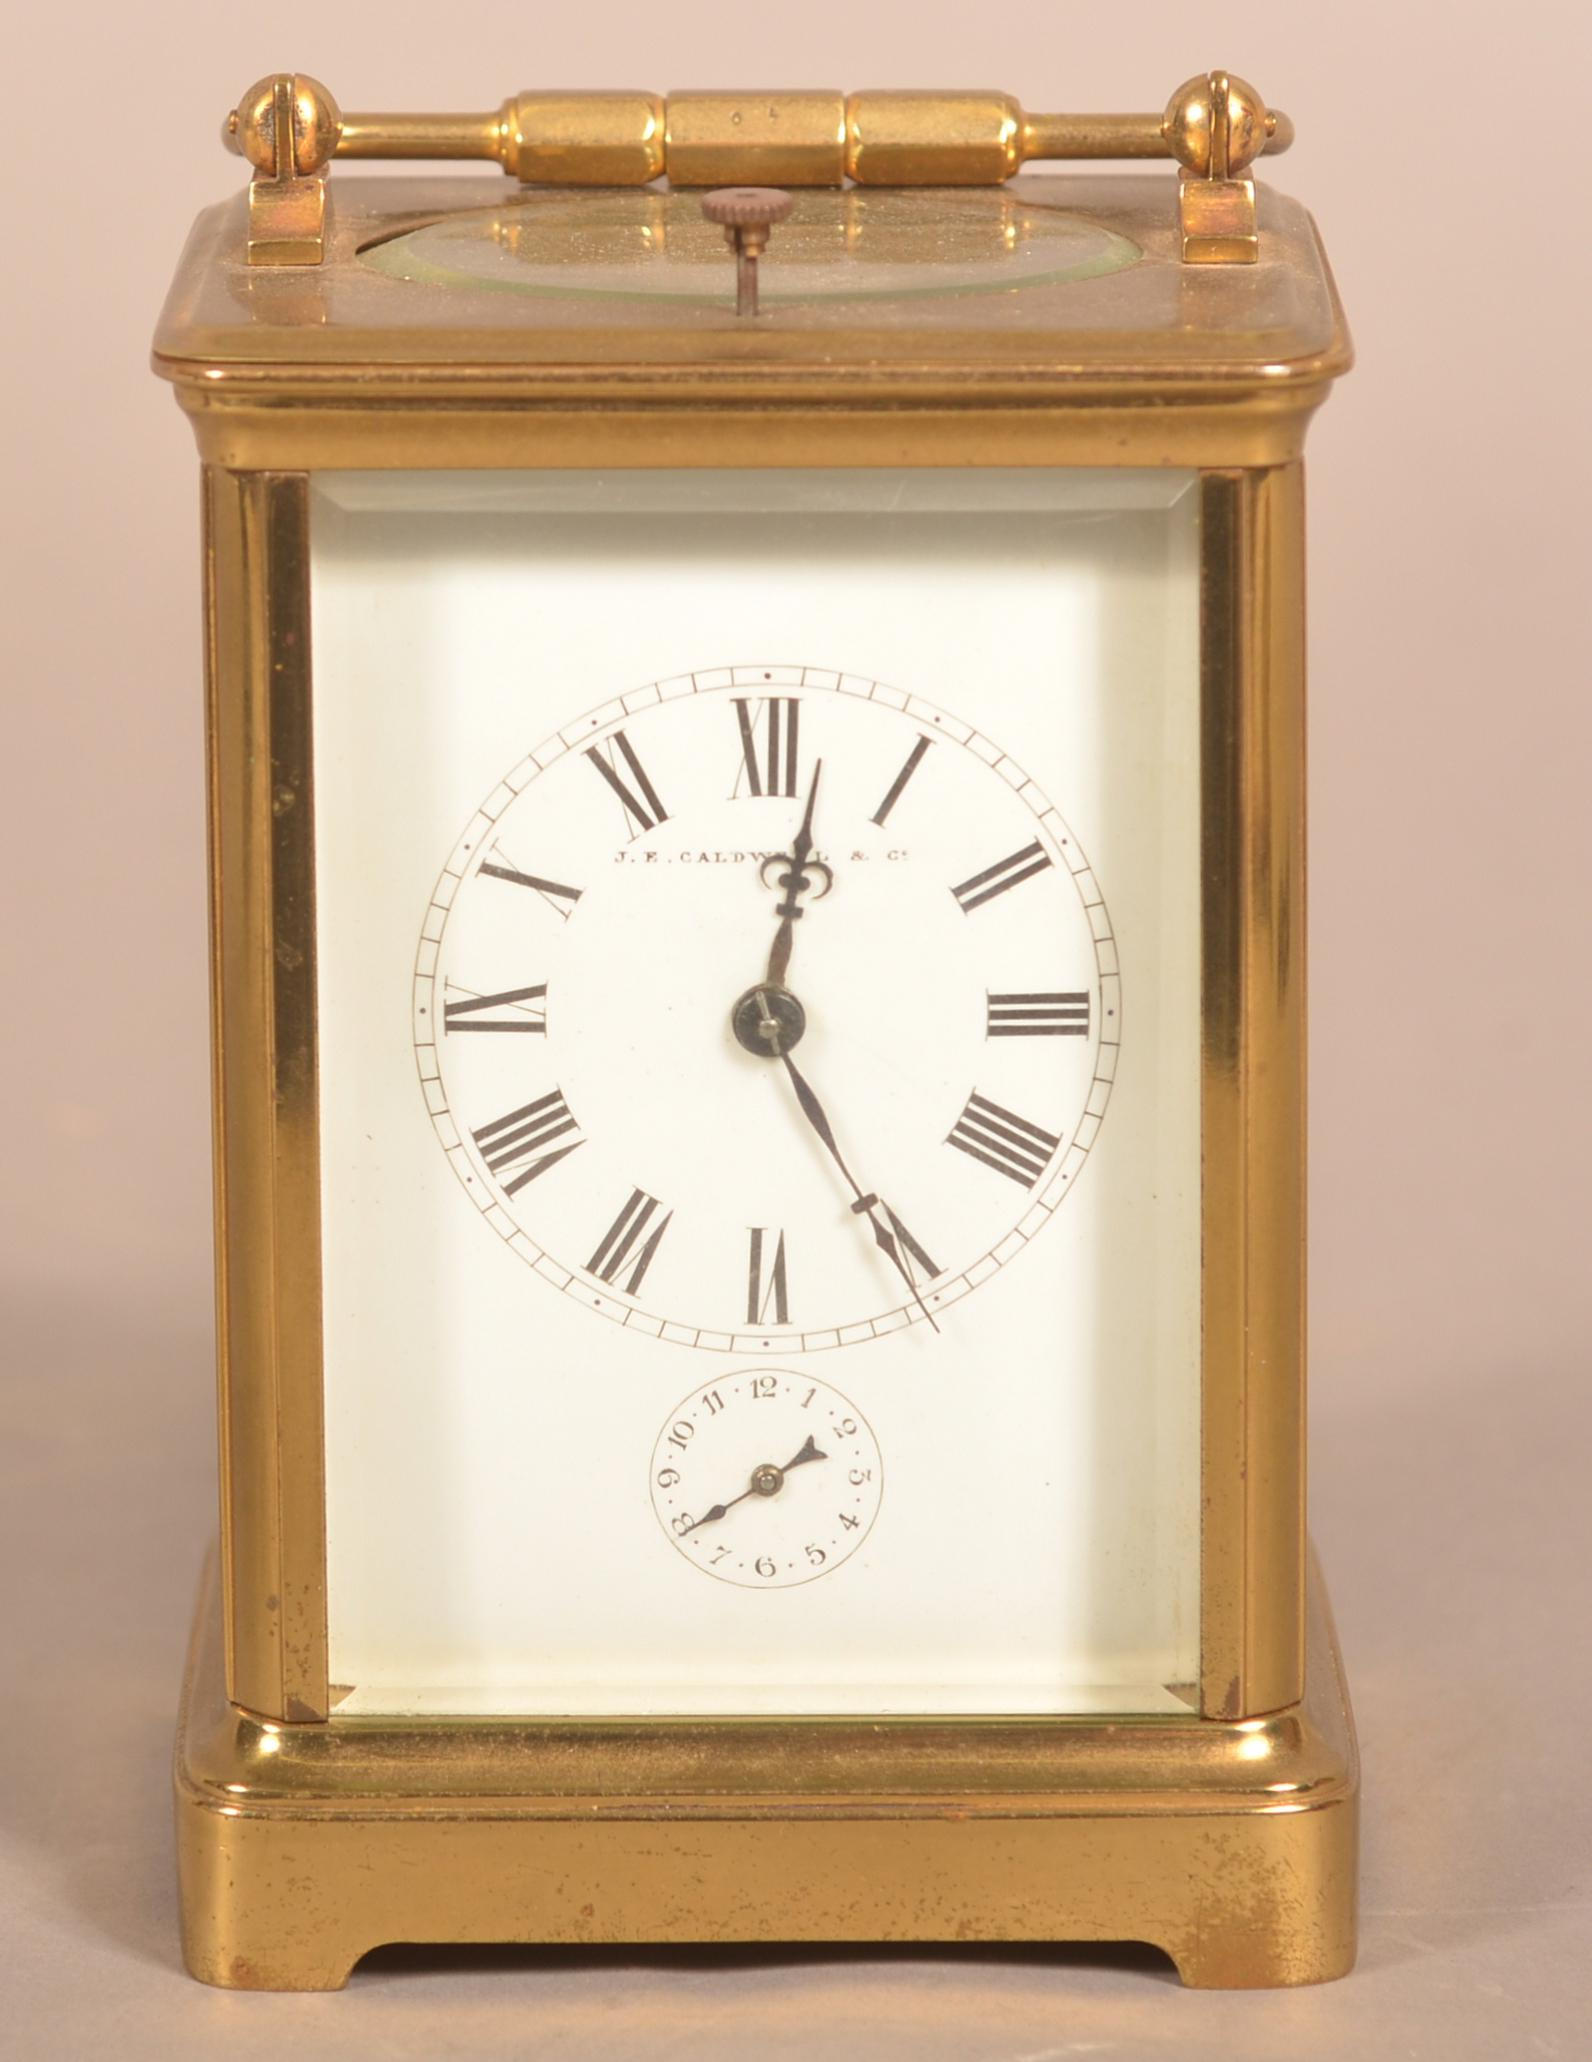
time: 12:24
